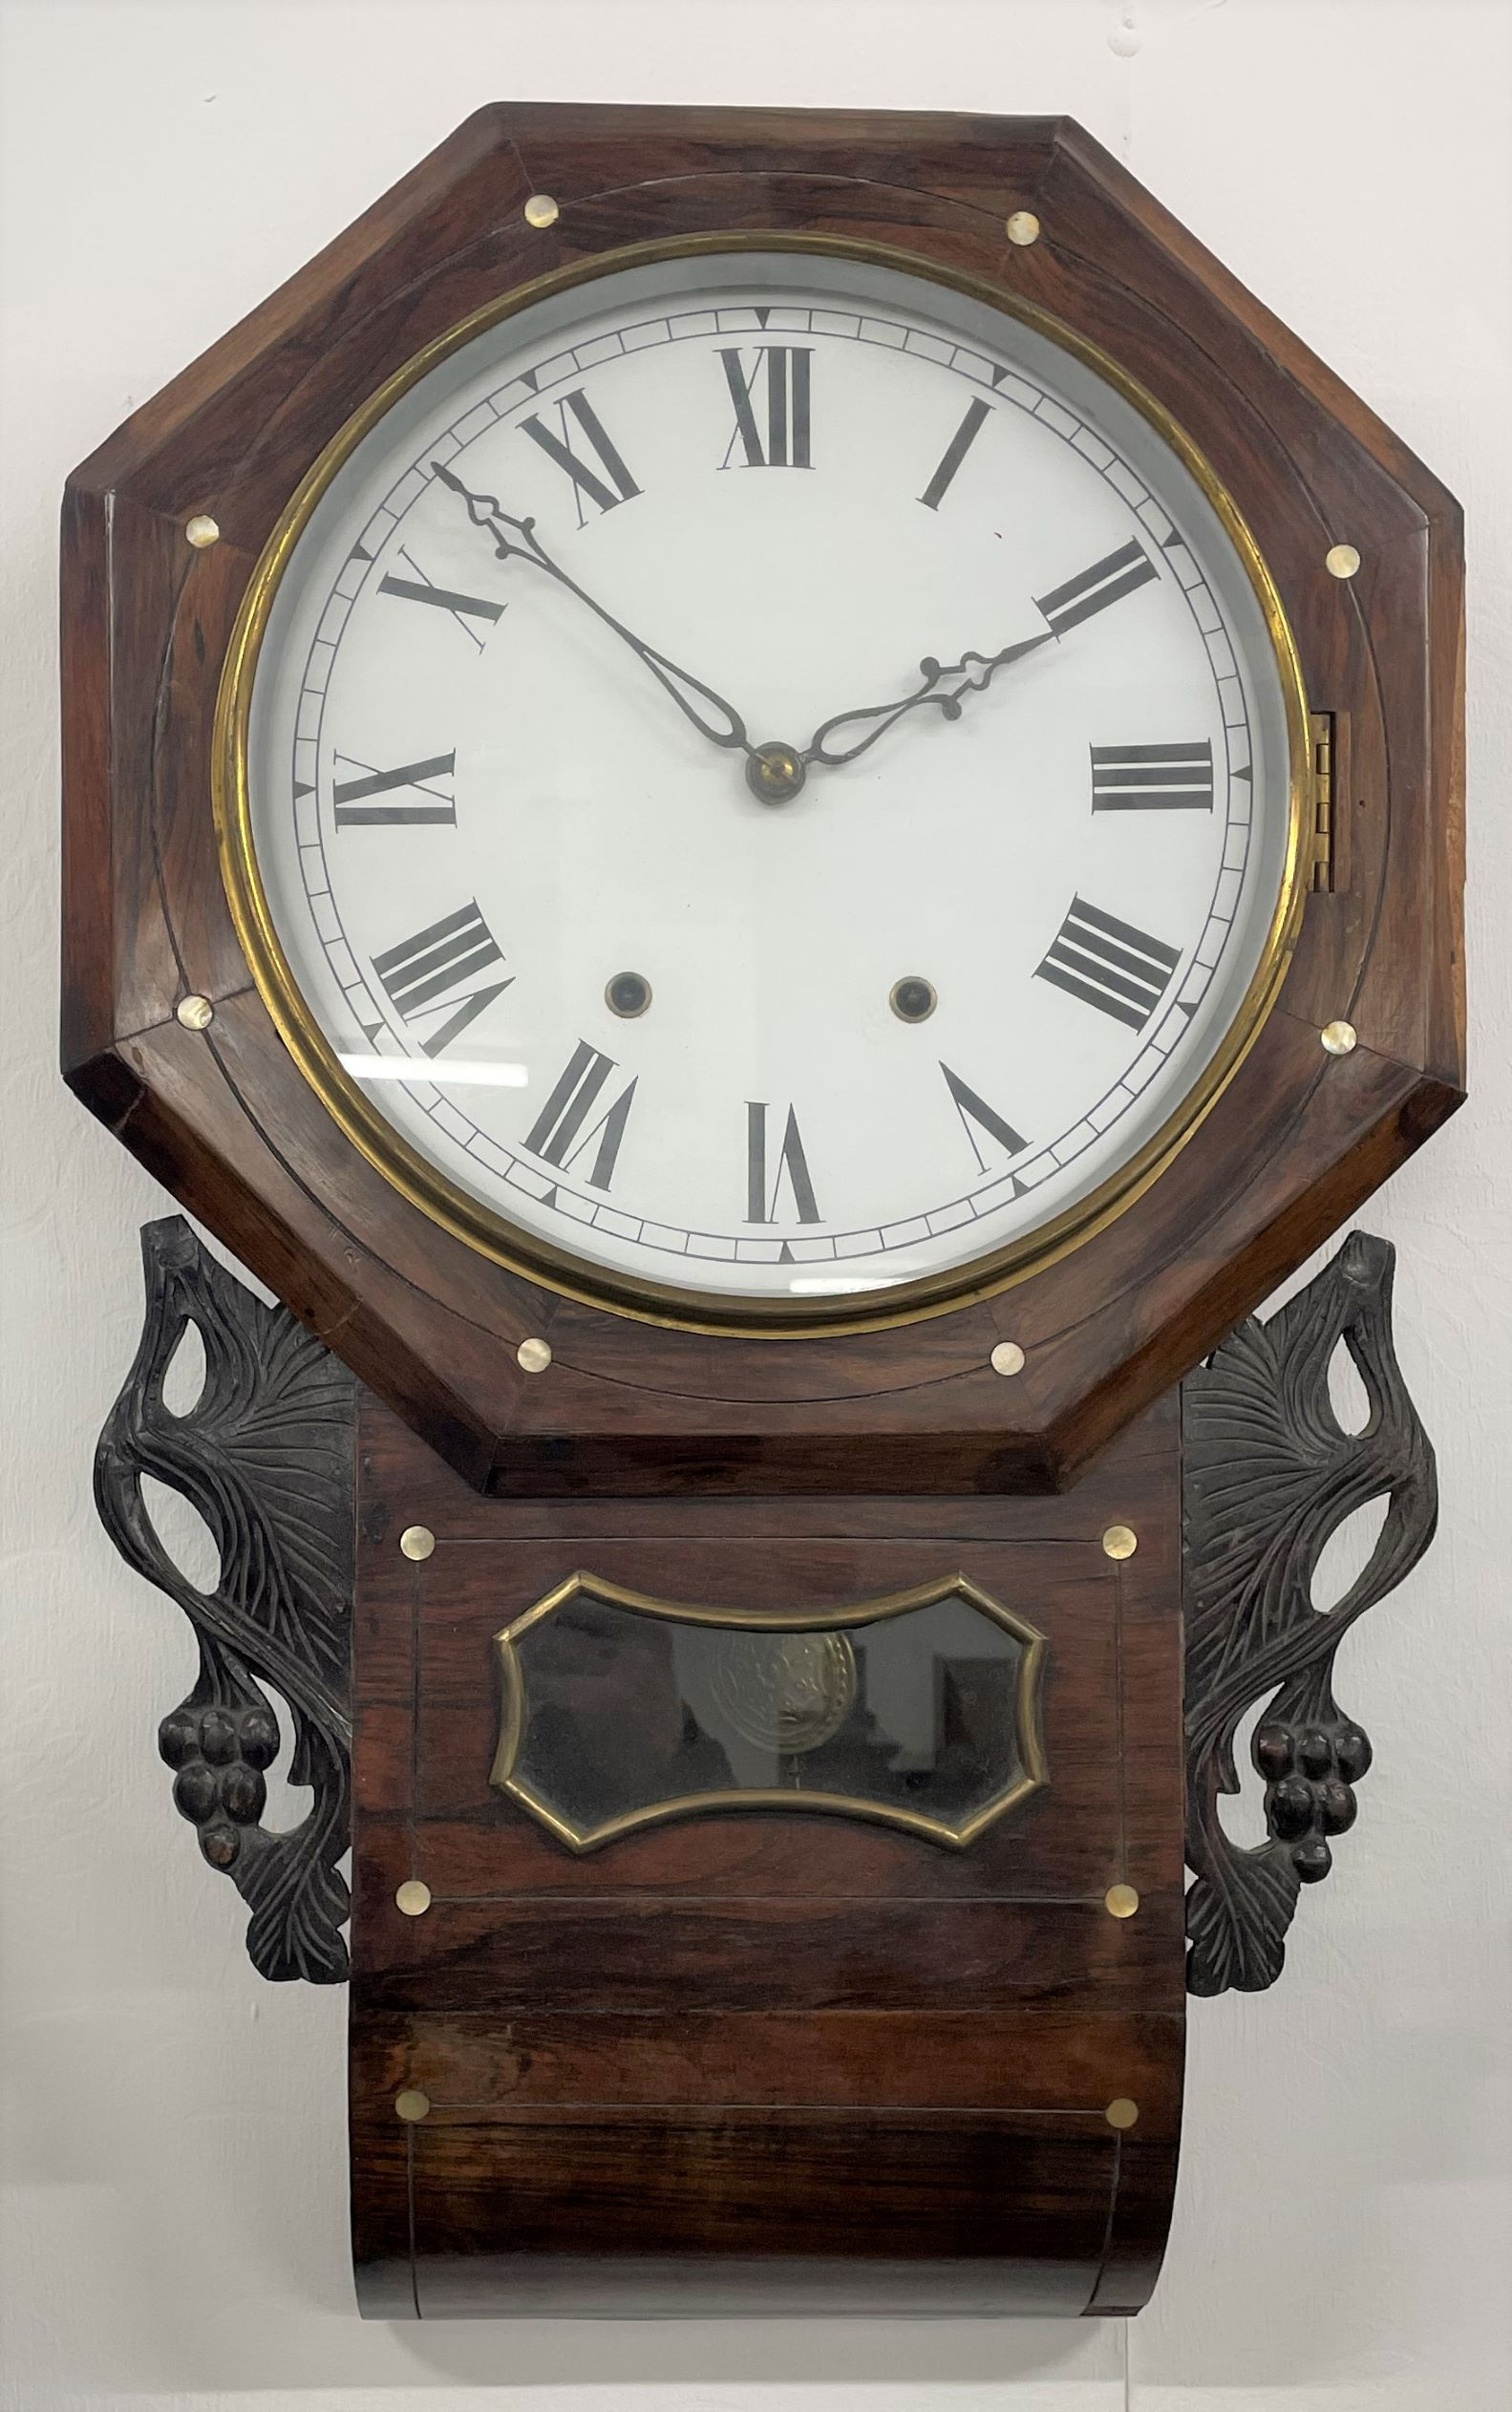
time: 1:52
